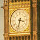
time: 3:32
